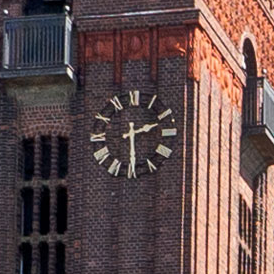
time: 2:29
